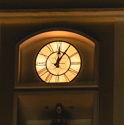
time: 12:05
